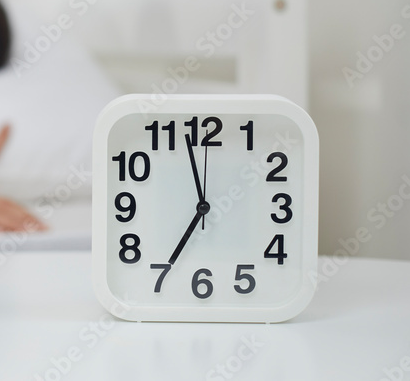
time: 6:57
